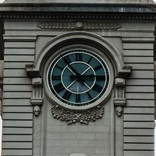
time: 2:53
